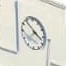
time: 3:52
